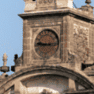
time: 9:15
